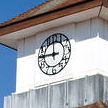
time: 11:45
